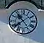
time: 10:38
